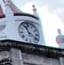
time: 11:21
